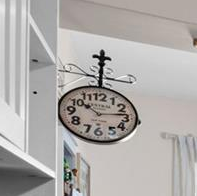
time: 10:13
